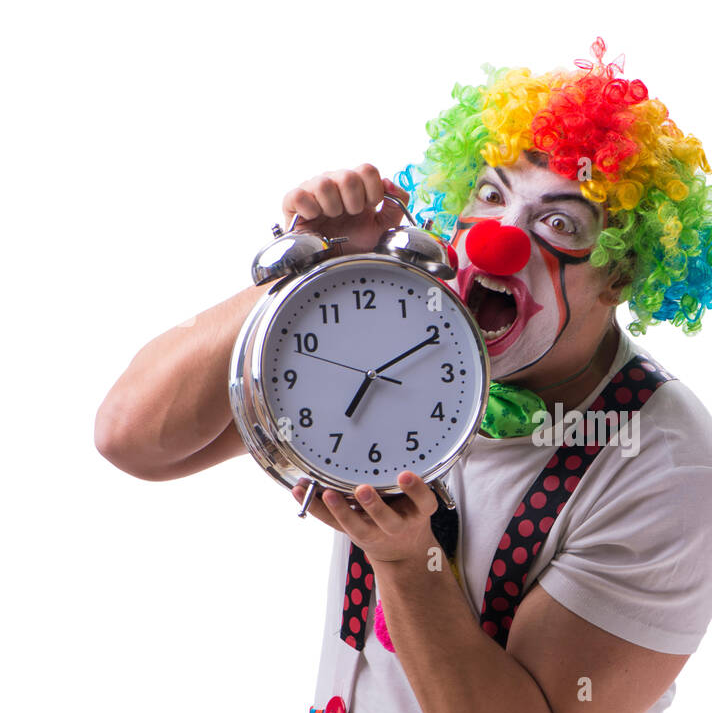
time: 7:10
